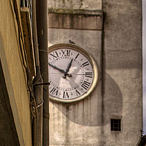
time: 12:49
